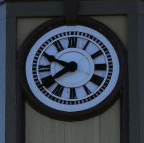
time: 7:49
